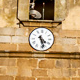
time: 4:27
